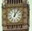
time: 12:05
